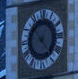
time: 10:23
